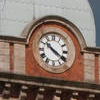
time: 10:20
